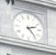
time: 2:23
